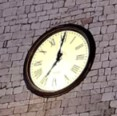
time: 7:00
